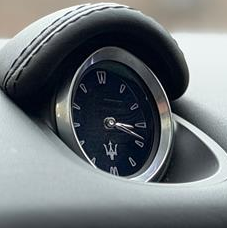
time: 3:18
